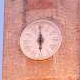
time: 5:59
